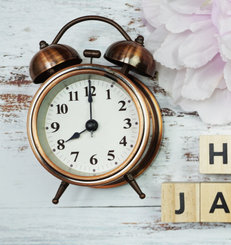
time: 8:00
